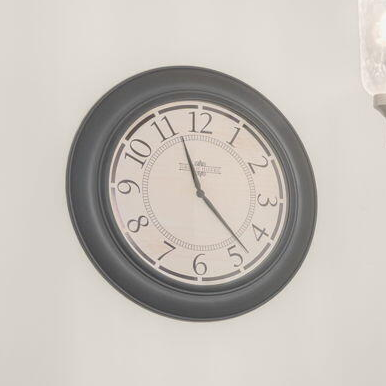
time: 11:23
